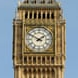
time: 1:50
